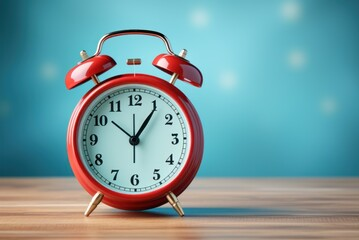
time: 1:05
